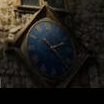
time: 2:23
